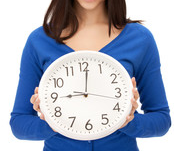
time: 9:01
